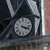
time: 4:18
